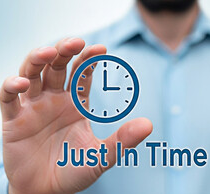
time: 2:59
